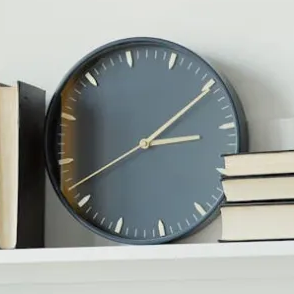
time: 3:10
